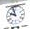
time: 9:57
